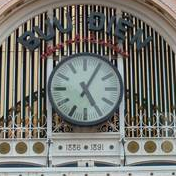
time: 5:05
